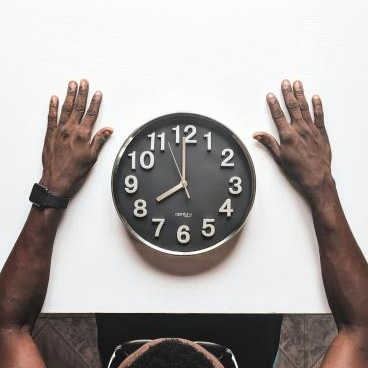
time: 7:59
